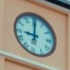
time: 9:00
